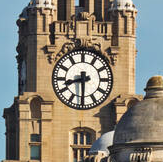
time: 8:30
